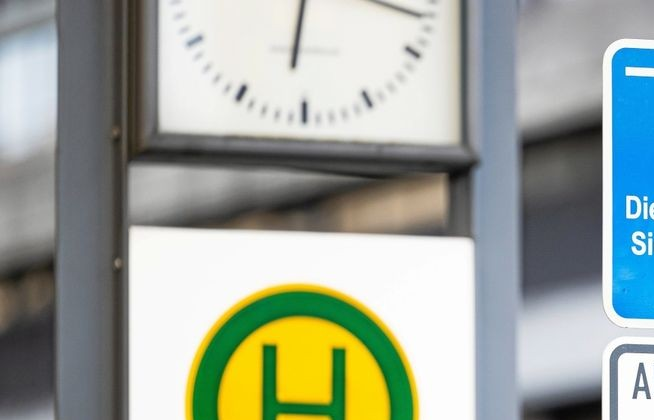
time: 6:16
